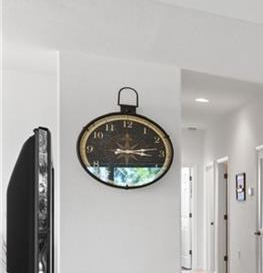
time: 3:13
